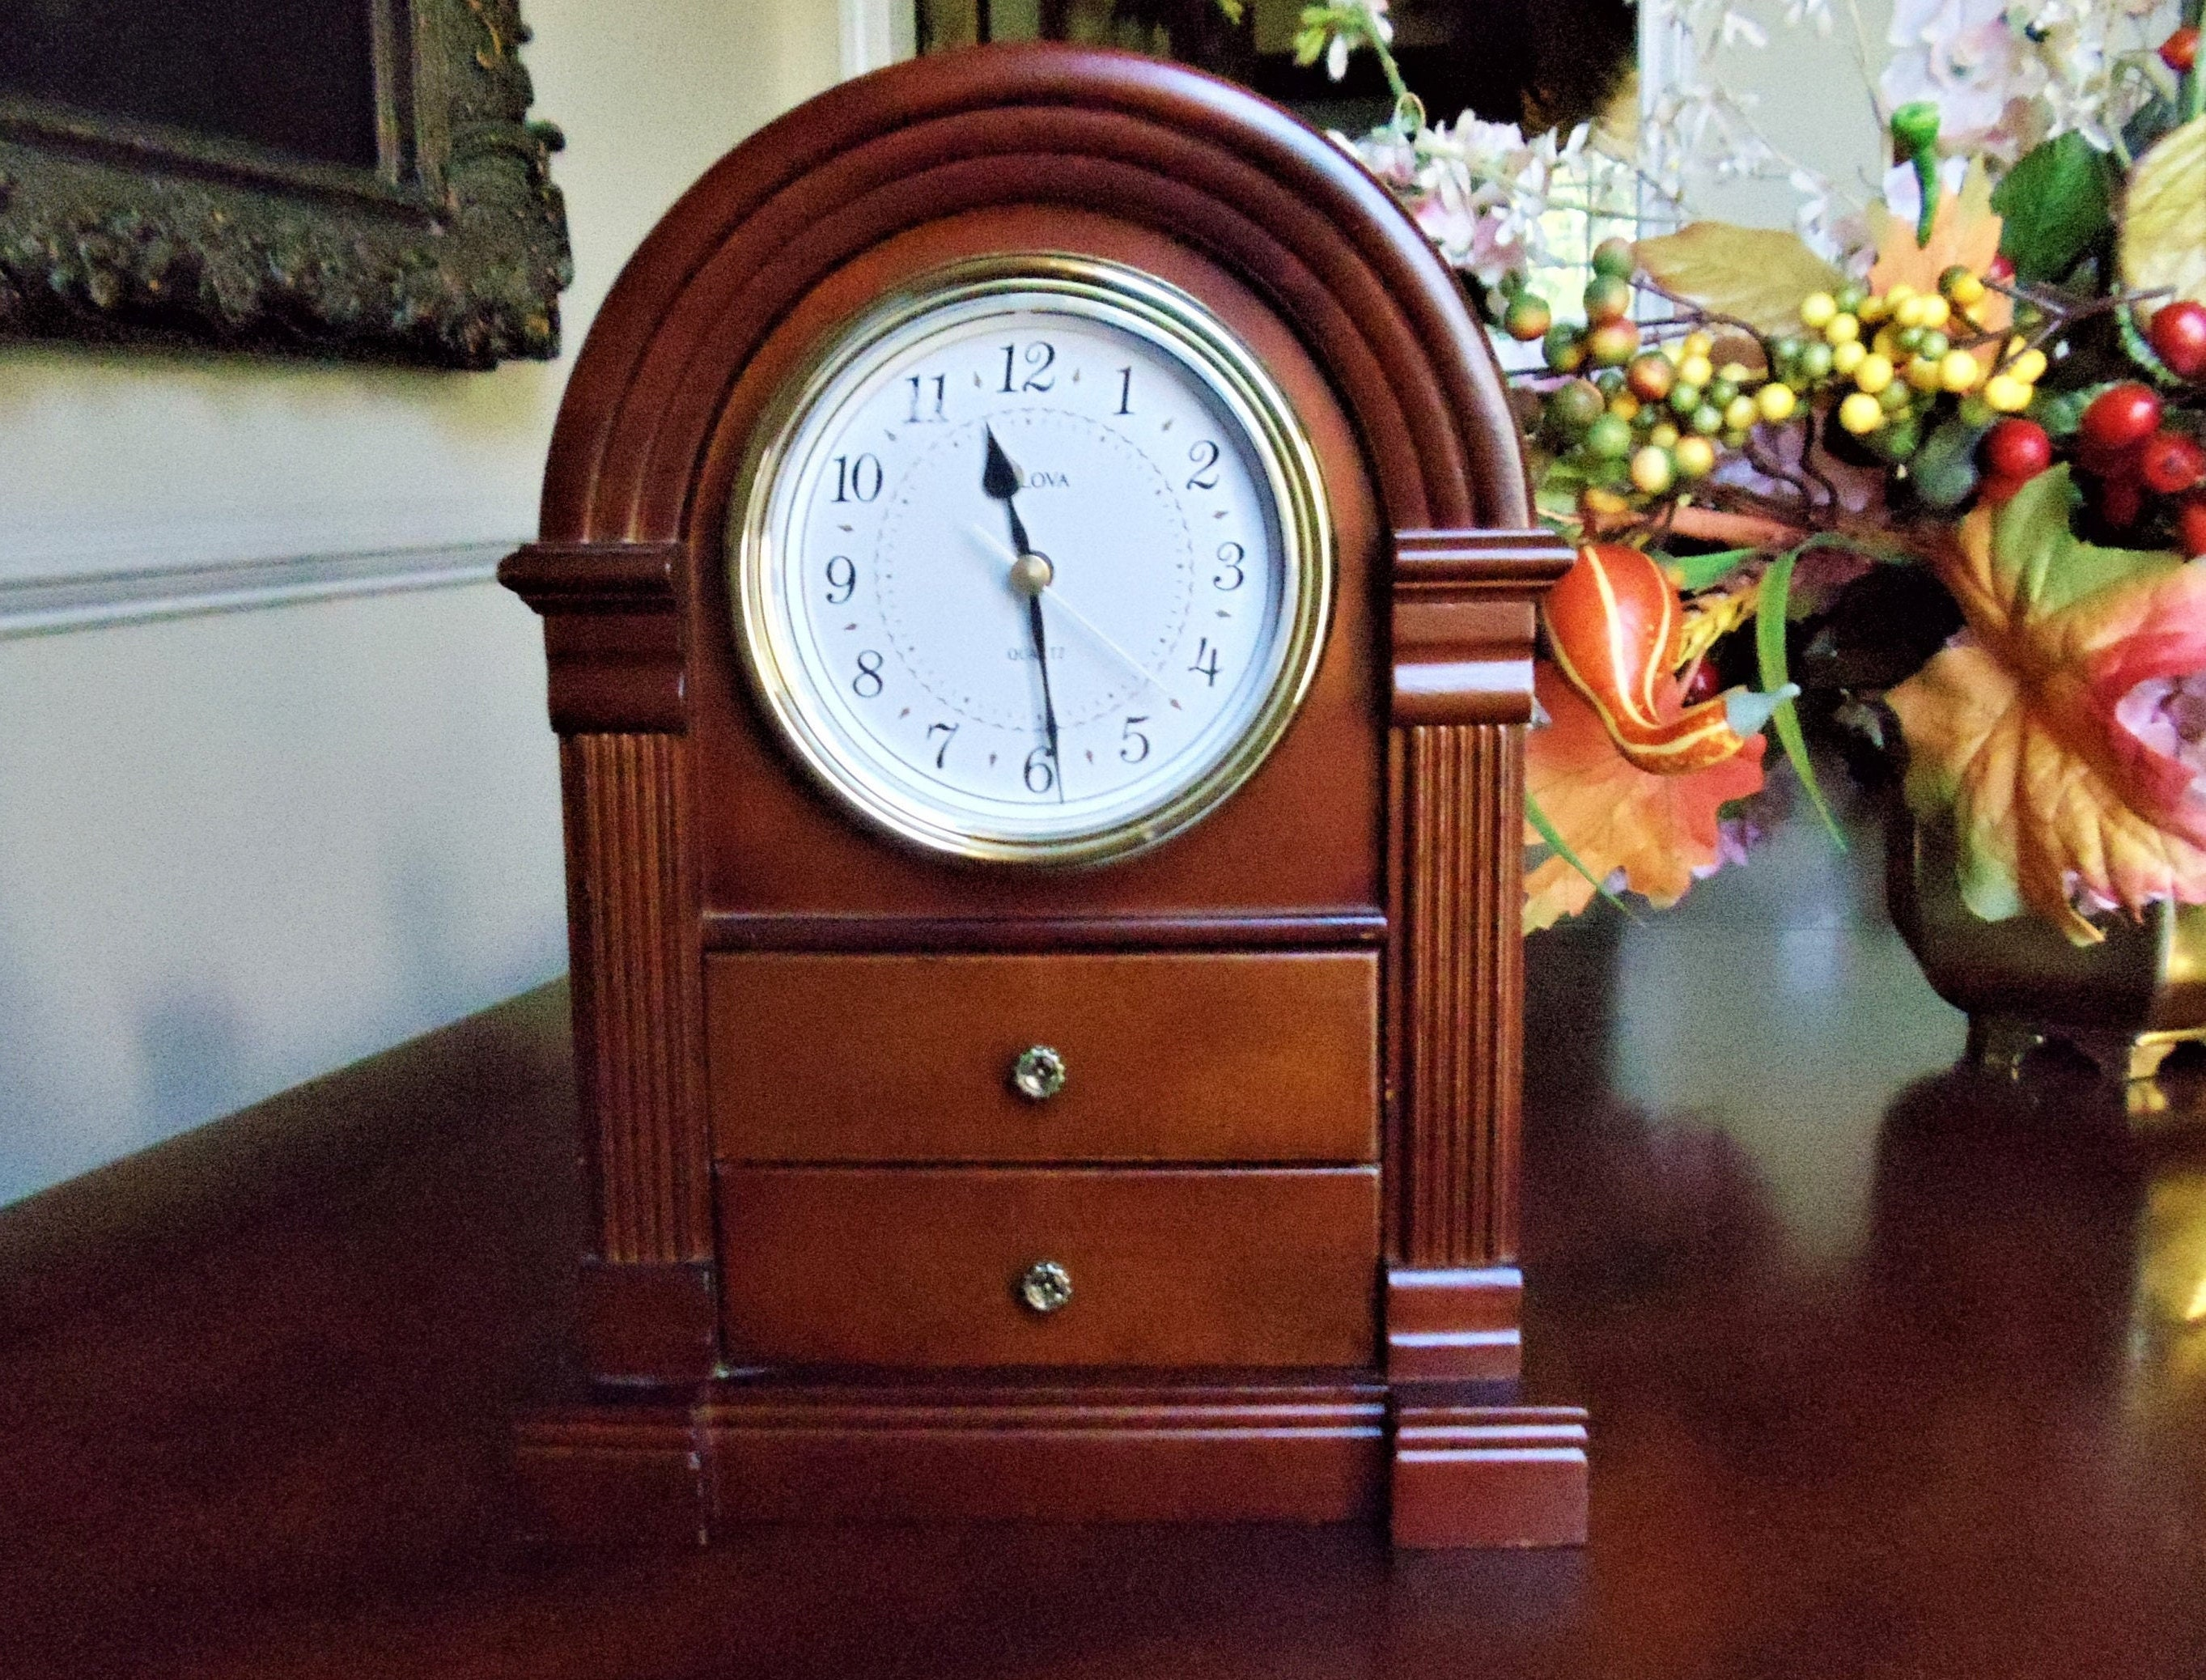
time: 11:28
